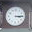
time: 3:14
